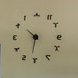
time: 10:31
